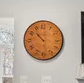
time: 10:28
